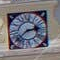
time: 2:38
